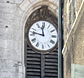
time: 11:46
